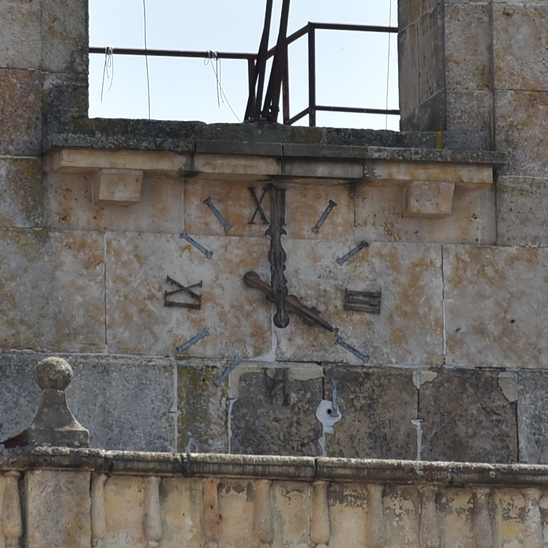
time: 4:00
